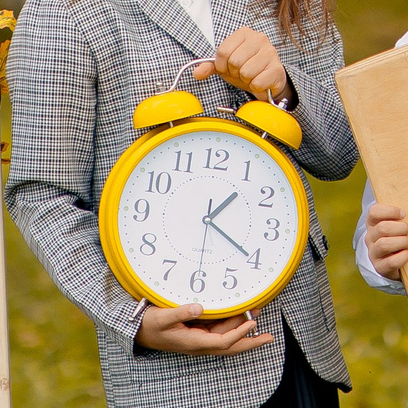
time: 1:20
